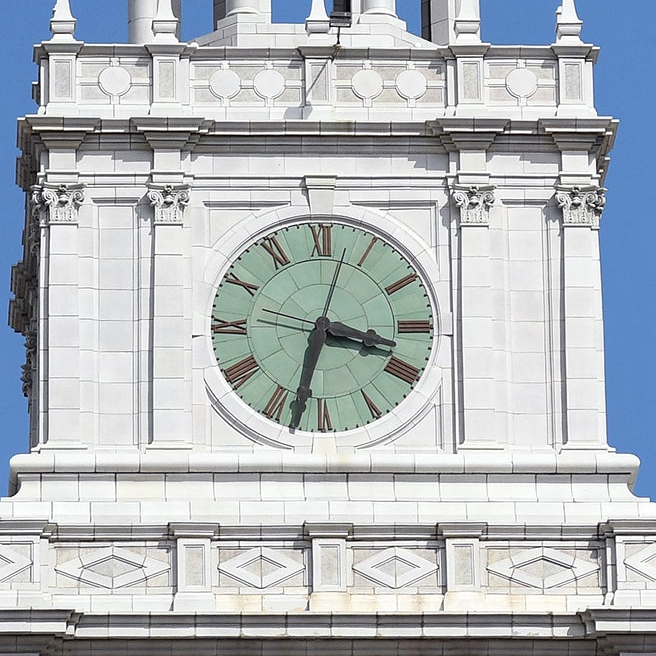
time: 3:32
